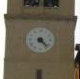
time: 4:22
